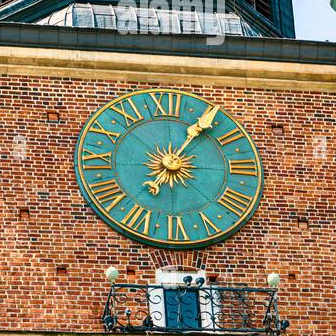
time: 1:05
